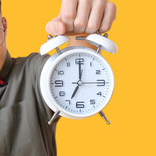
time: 7:00
